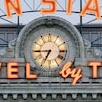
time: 6:44
